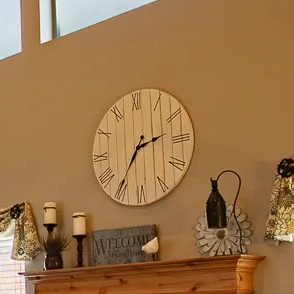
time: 2:35
